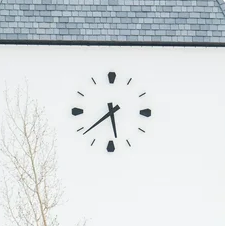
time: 5:38
